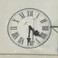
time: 4:30
